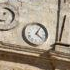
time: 4:04
